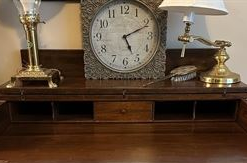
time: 5:11
